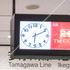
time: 6:10
